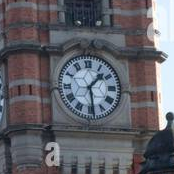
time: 1:28
